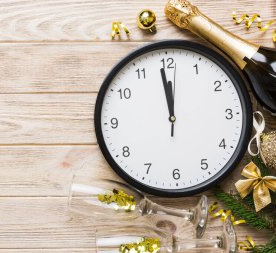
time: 11:58
